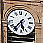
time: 5:36
